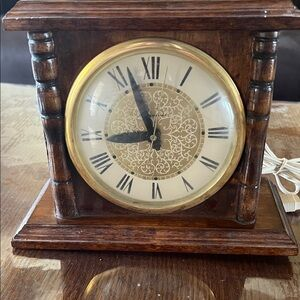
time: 8:56
